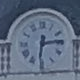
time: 6:14
